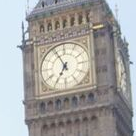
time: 6:55
